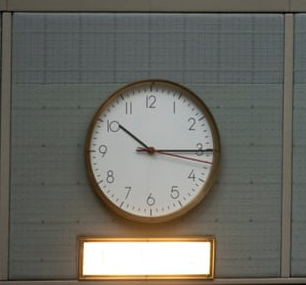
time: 10:15
